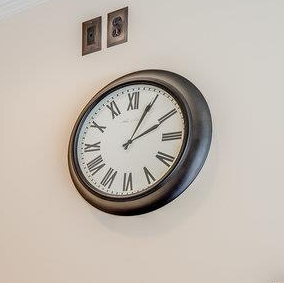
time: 2:04
